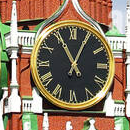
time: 11:04
